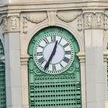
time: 12:34
